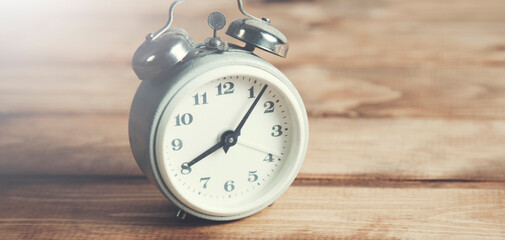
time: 8:06
